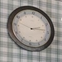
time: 2:13
